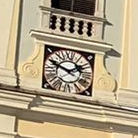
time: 1:49
